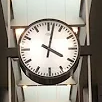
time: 4:02
